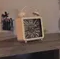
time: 8:11
